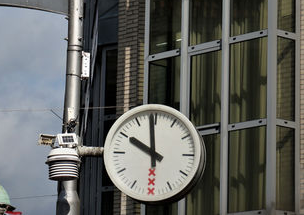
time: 9:58
